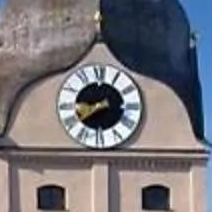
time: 8:38
